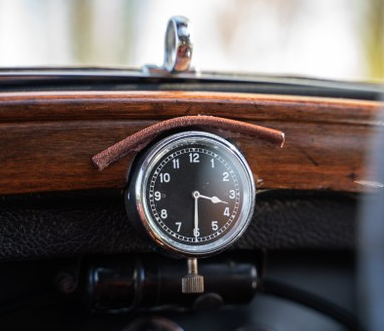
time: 3:30
